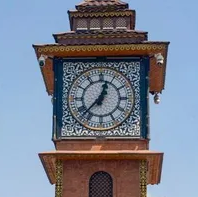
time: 12:37
